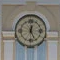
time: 12:26
